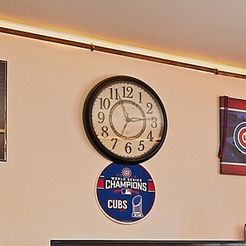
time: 6:56
